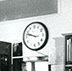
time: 9:47
